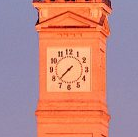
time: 7:37
